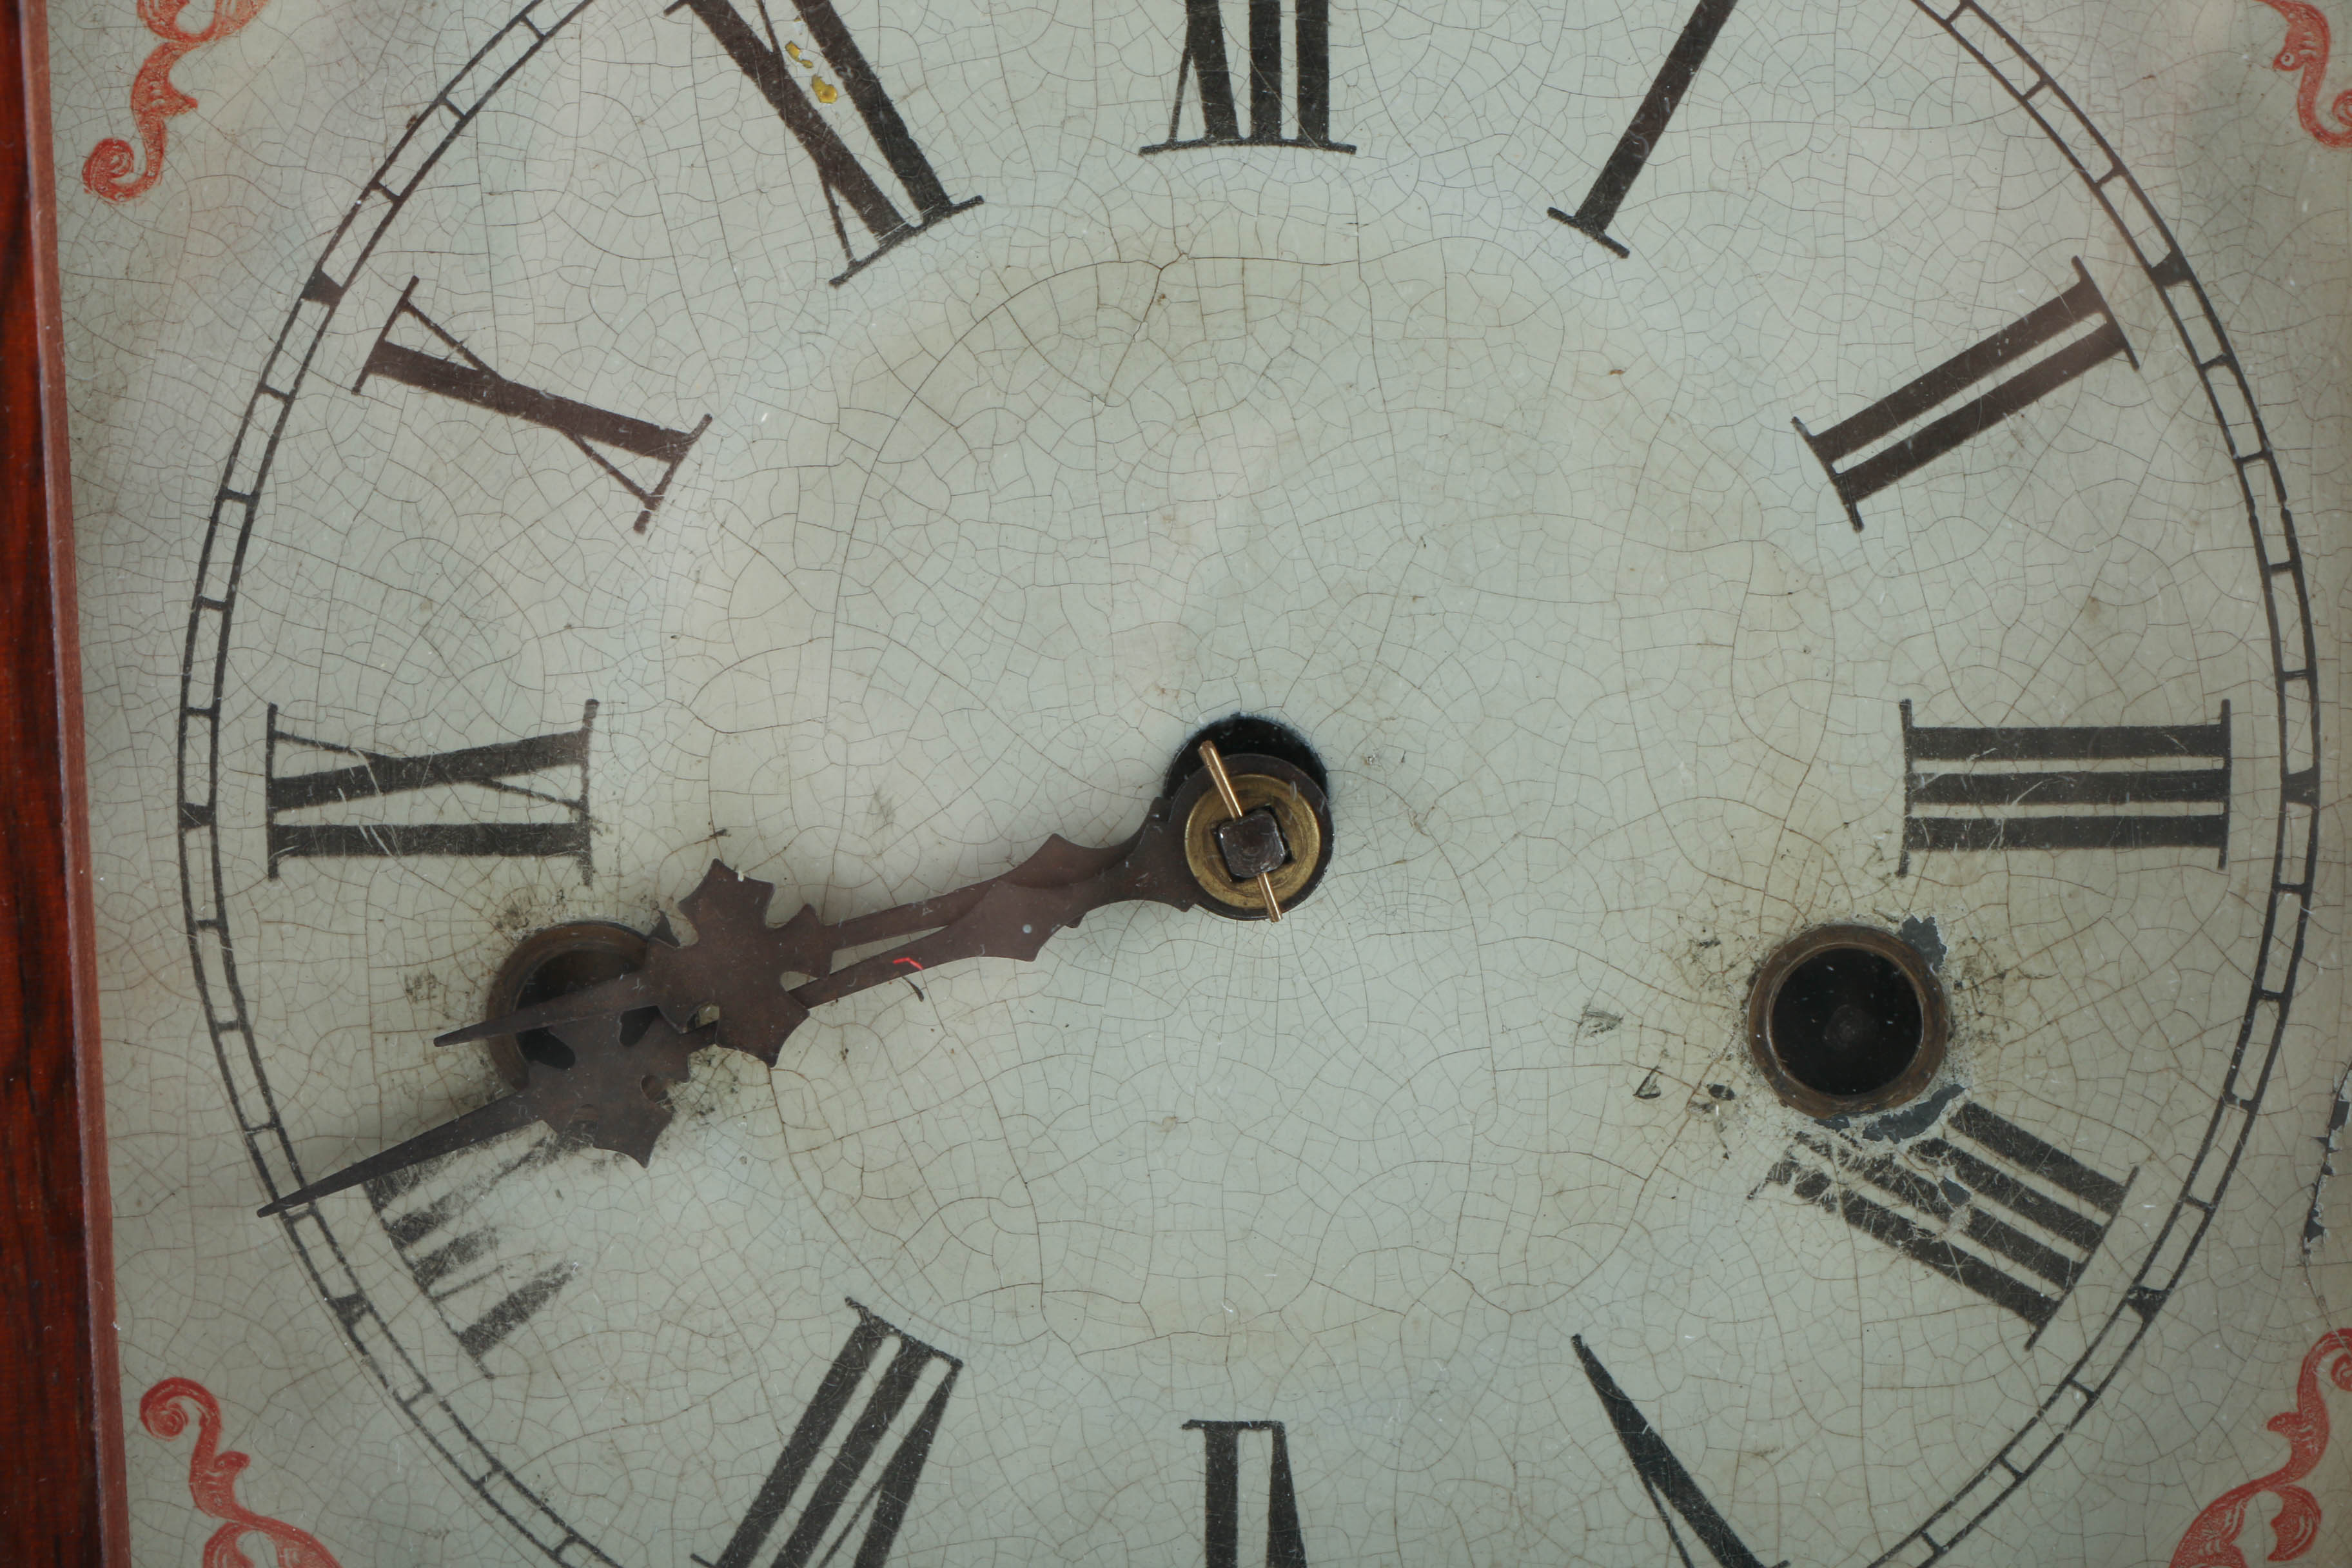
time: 8:41
